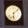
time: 6:08
